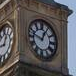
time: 12:47
